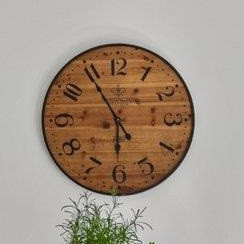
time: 5:54
